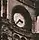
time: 3:37
